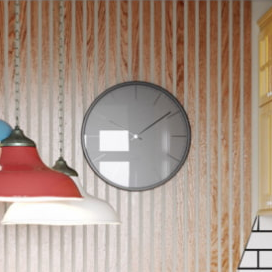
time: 9:09
